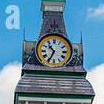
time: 10:34
